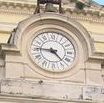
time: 4:45
